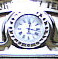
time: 12:16
